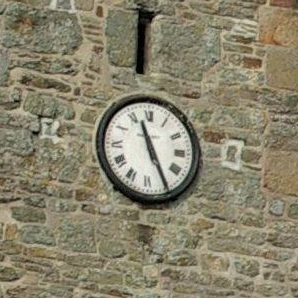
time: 11:25
